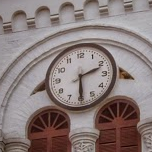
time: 2:29
